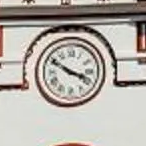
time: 3:50
